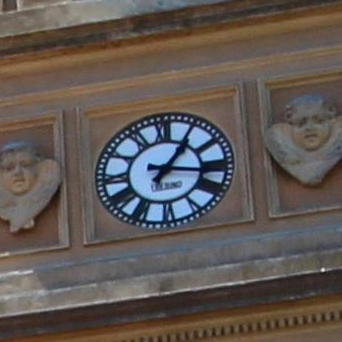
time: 1:16
